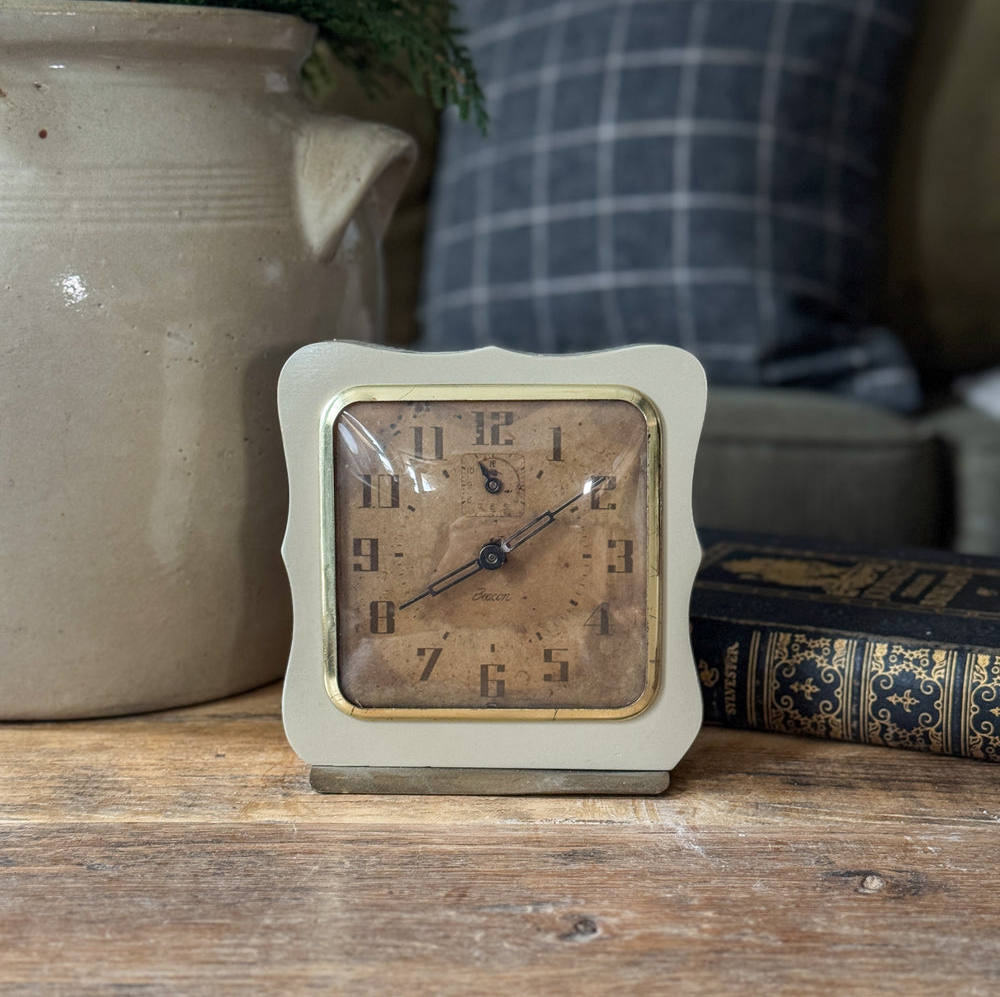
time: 8:09
